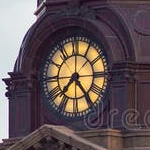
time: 7:24
